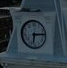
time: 6:14
